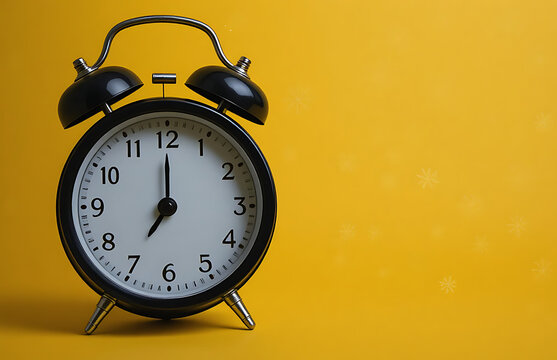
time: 7:00
